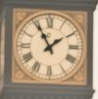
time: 1:55
